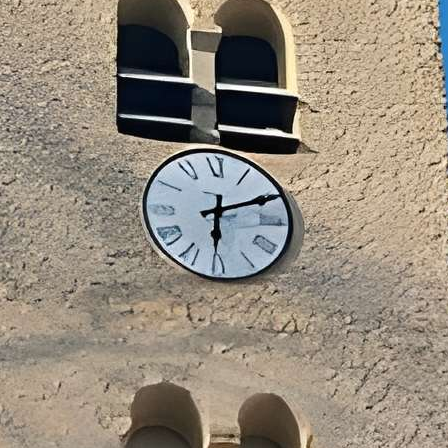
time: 6:11
